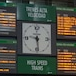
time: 9:28
